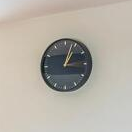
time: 1:03
